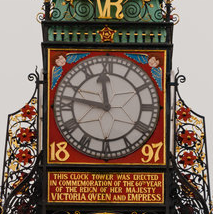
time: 11:46
